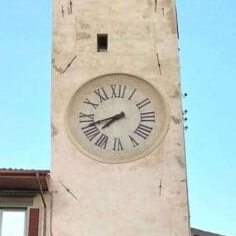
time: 7:41
